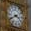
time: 3:40
